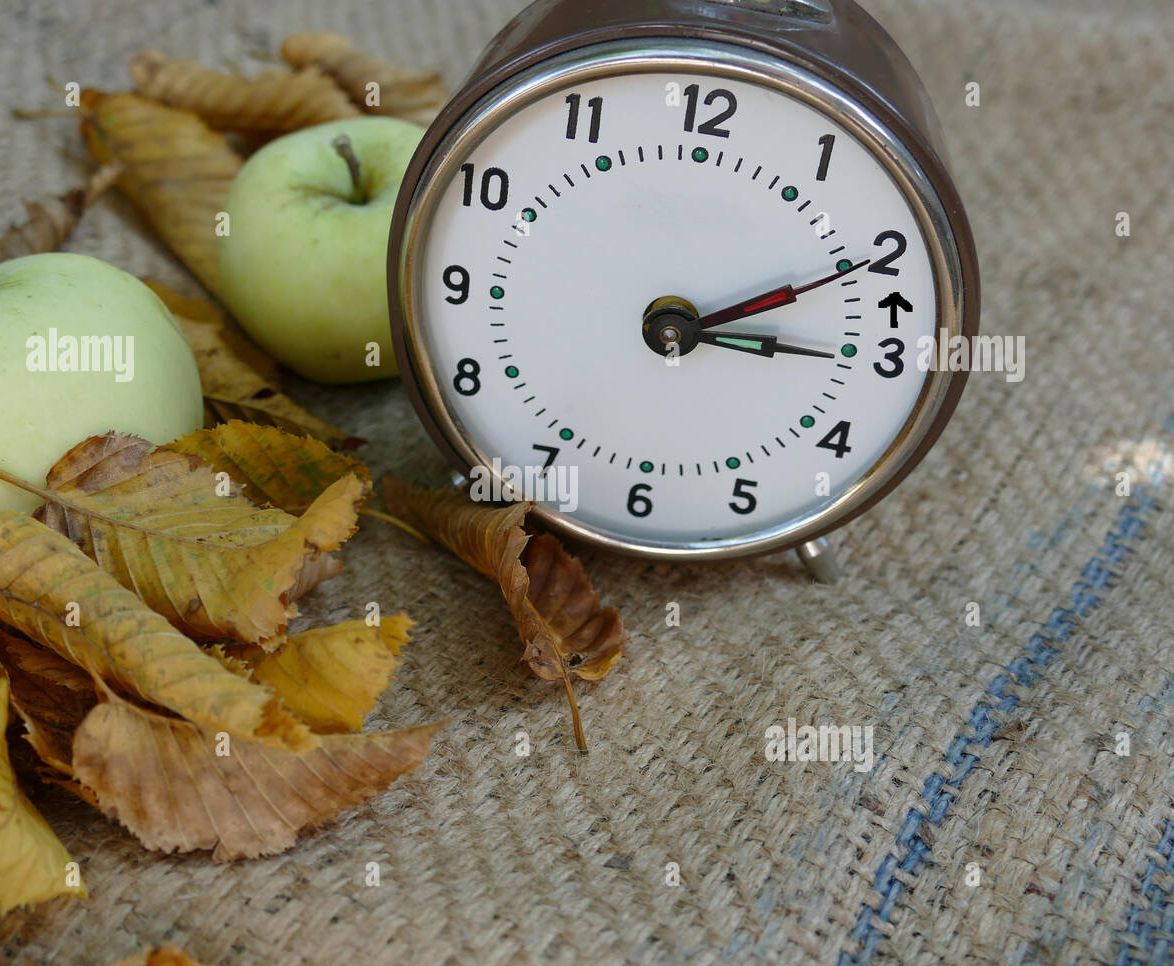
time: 3:10
